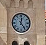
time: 12:23
